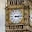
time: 3:14
